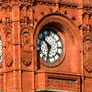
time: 10:32
